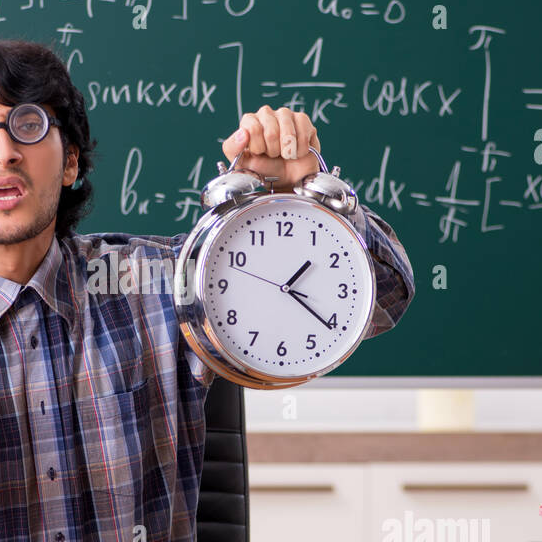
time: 1:21
